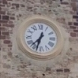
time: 7:33
